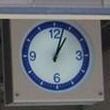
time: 1:02
